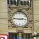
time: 2:46
